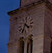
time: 4:33
